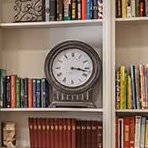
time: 3:17
